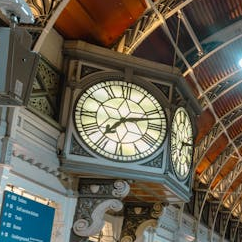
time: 7:12
